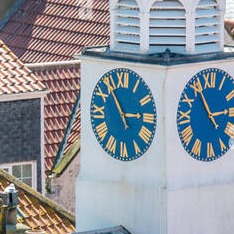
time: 2:54
